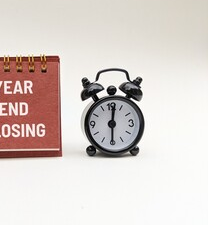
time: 6:01
